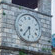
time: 5:35
